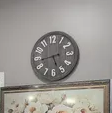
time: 5:43
